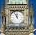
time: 11:55
